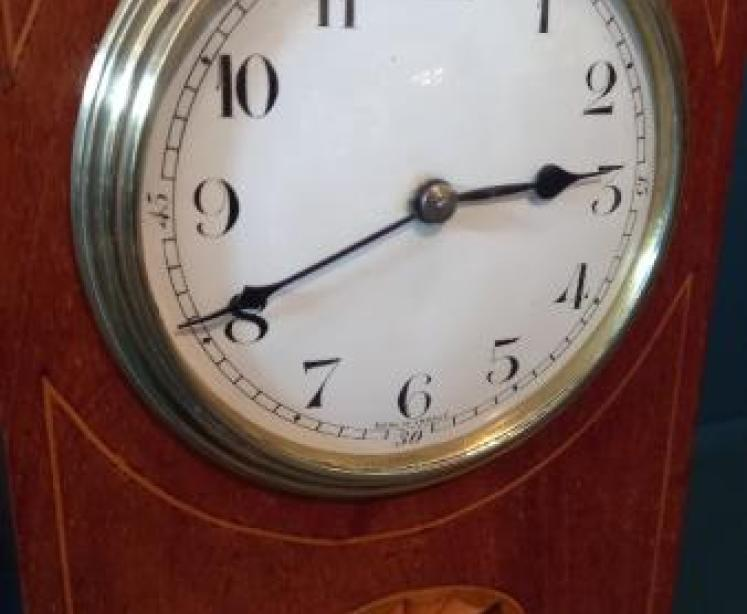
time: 2:40
